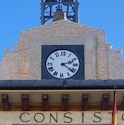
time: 2:21
